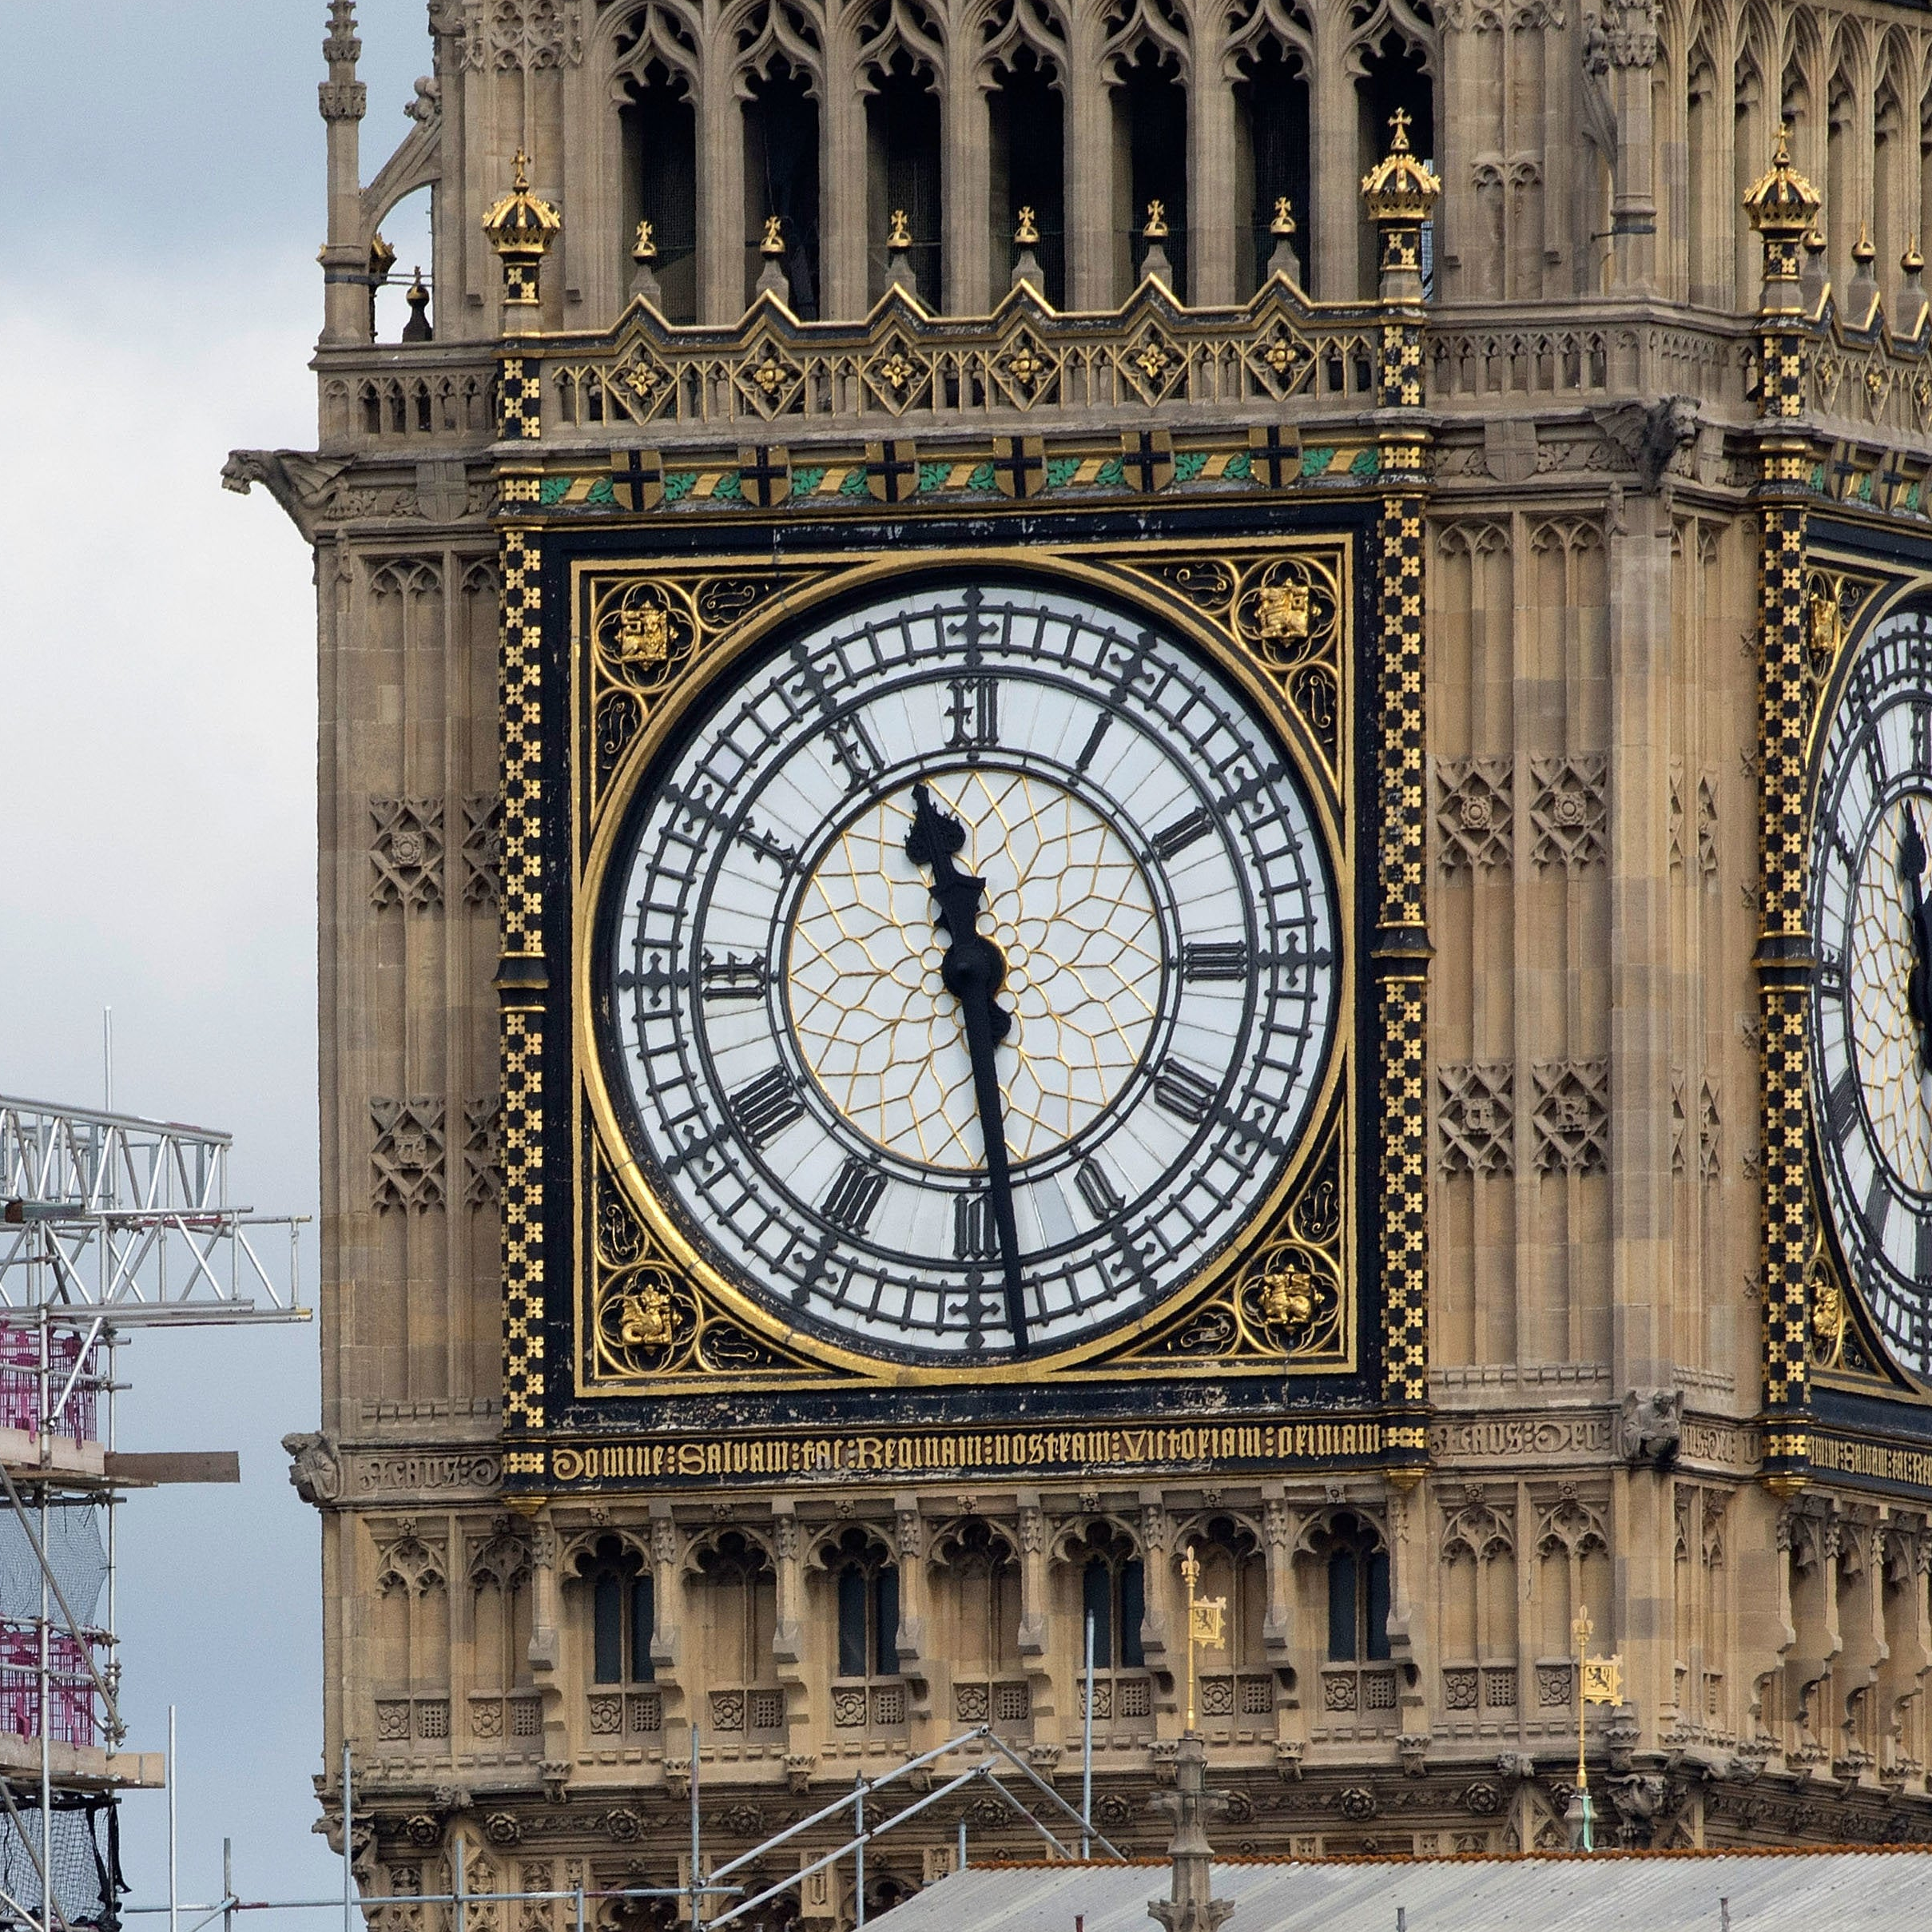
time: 11:28
